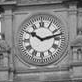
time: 10:12
